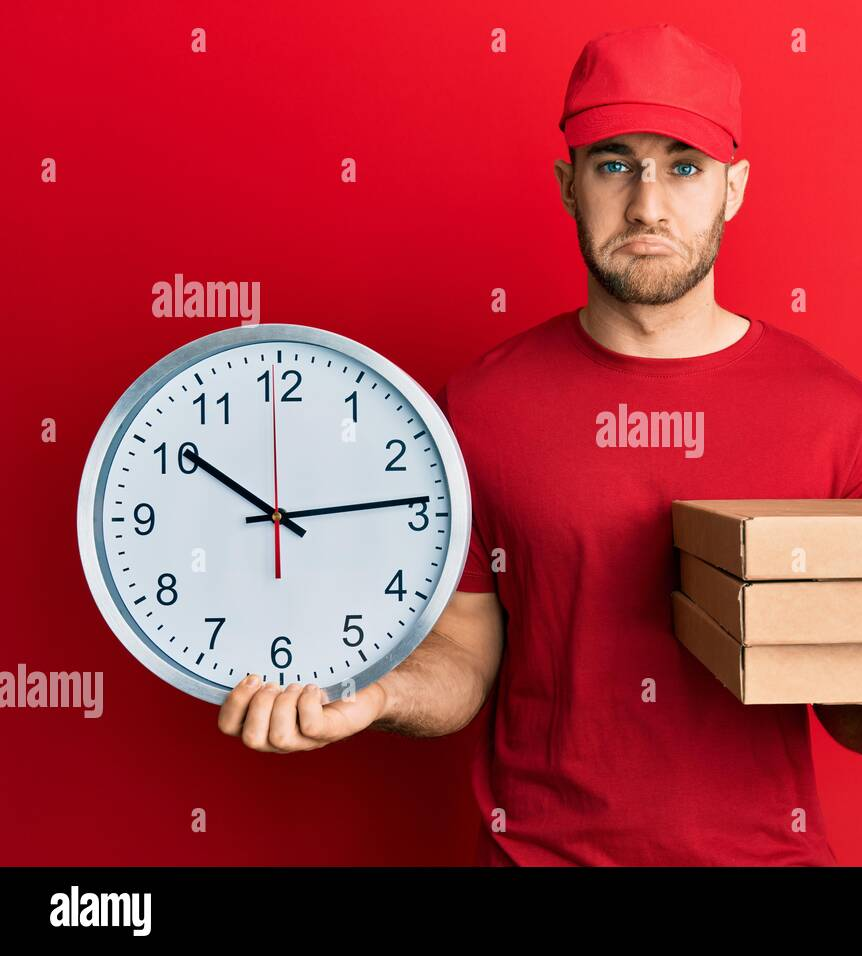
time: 10:13
